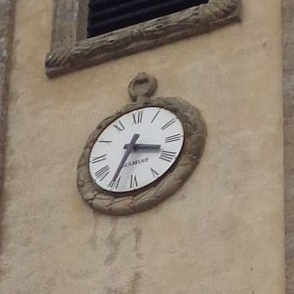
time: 3:34
